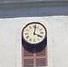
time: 4:01
